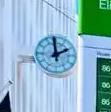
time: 1:59
